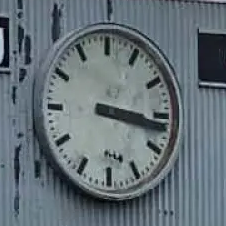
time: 3:16
